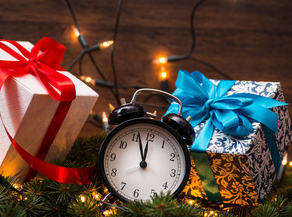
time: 11:56
